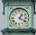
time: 1:20
